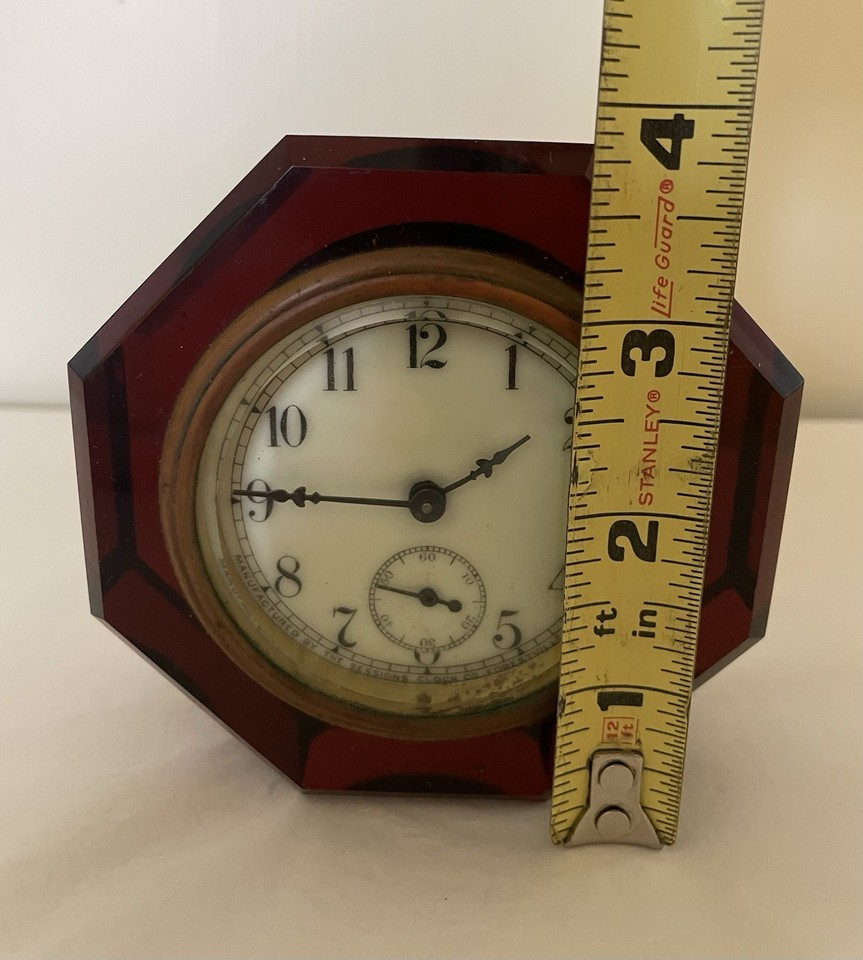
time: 1:45
